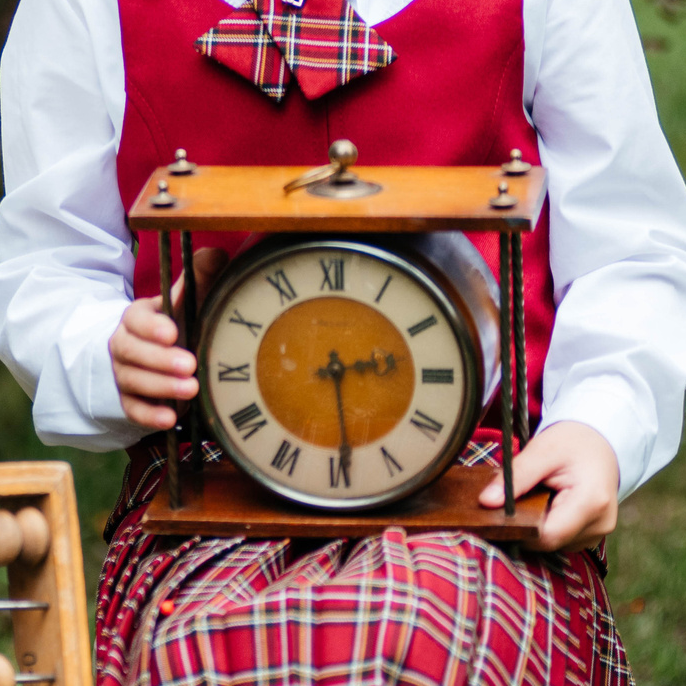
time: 2:29
